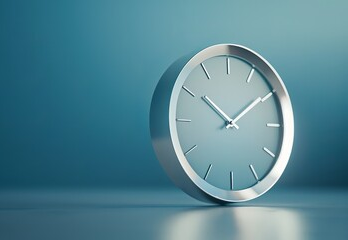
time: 10:09
